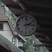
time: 2:15
